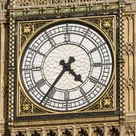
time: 4:36
